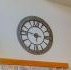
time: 5:46
